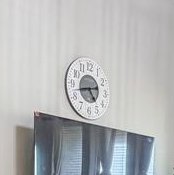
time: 4:42
